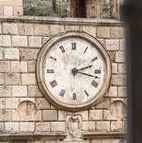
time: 2:17
